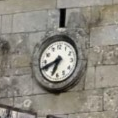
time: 6:41
